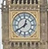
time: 12:39
